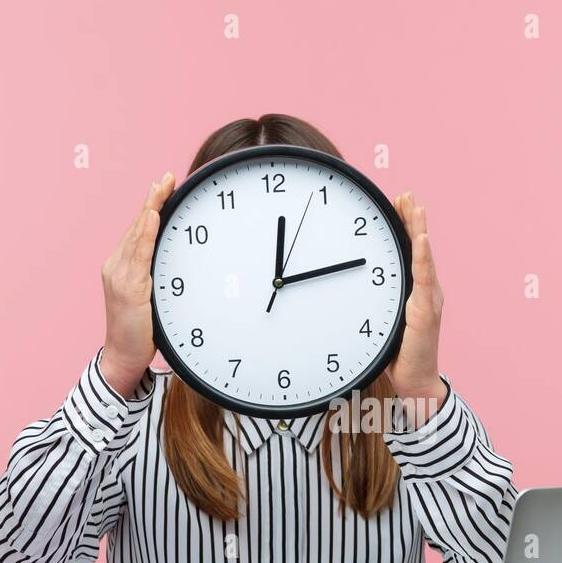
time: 12:13
